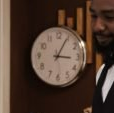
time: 3:04
